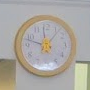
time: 11:47
